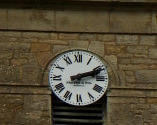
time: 2:12
